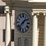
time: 1:37
